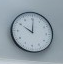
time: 10:00
